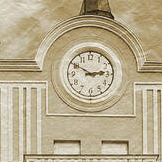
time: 2:50
